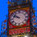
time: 9:51
